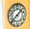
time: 1:37
